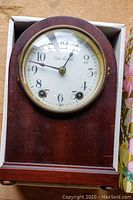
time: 12:47
